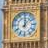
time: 12:07
